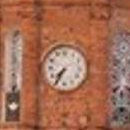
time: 7:35
